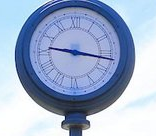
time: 9:16
